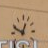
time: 12:49
